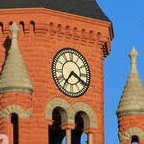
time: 7:19
